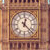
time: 12:22
